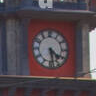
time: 4:28
